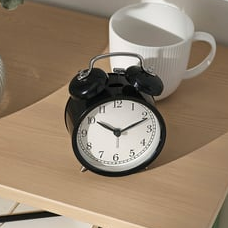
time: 10:11
